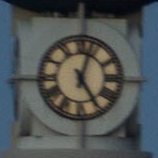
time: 5:03
